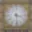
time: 3:29
